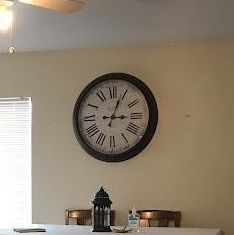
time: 3:04
